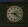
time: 9:22
